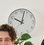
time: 10:02
